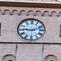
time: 9:11
